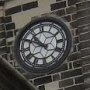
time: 10:49
